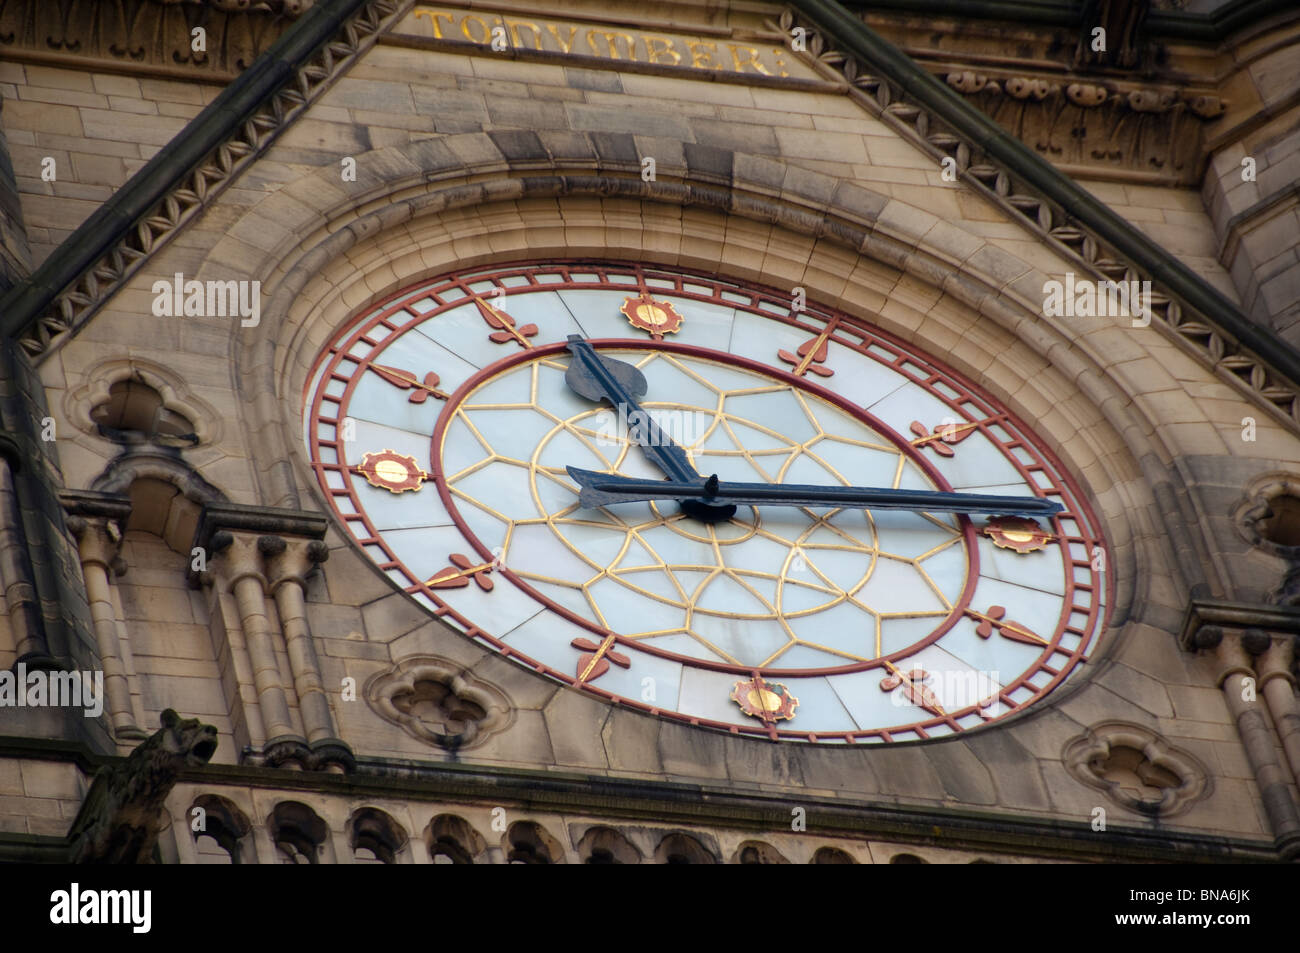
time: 11:13
